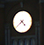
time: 4:38
